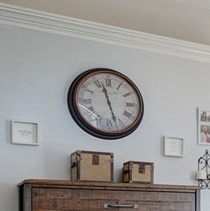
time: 11:27
